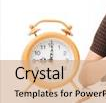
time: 9:00
